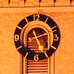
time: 2:25
